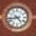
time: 4:42
